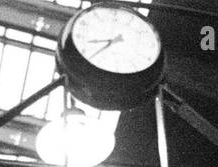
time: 8:38
